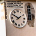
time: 1:50
